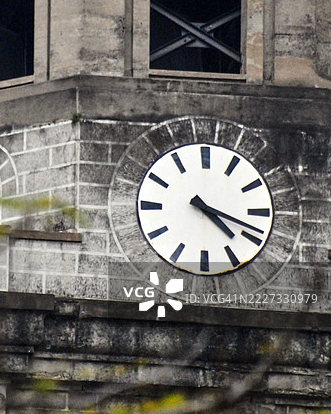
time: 4:18
